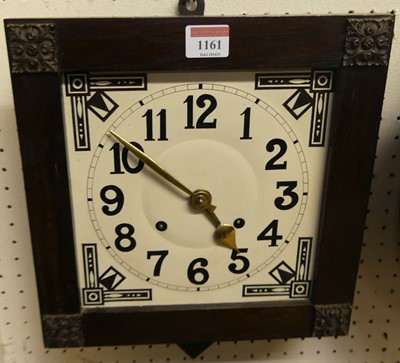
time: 4:51
